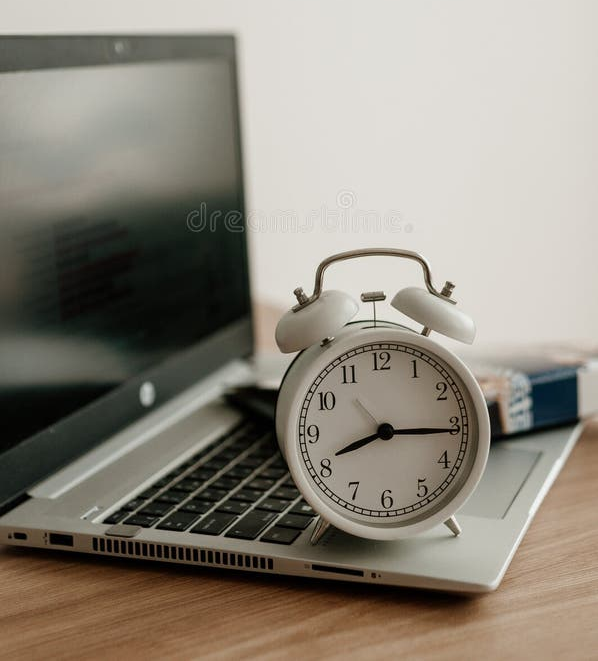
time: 8:15
